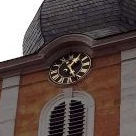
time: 1:26
